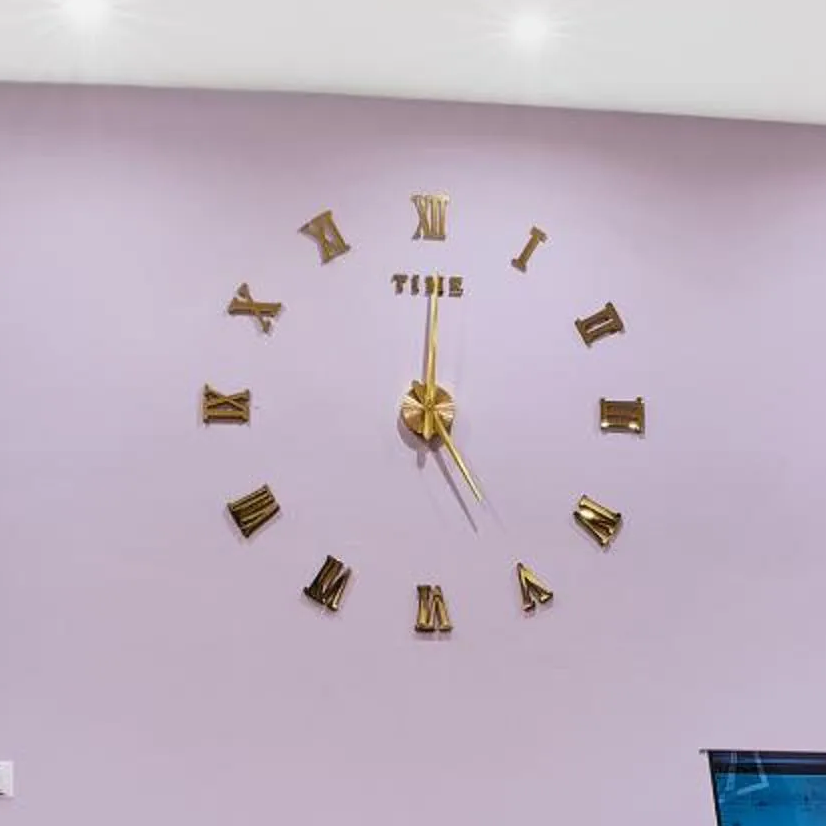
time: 5:00
